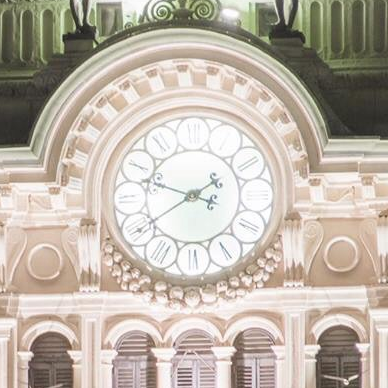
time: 1:47
